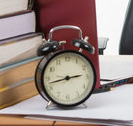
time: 2:42
